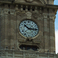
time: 10:15
